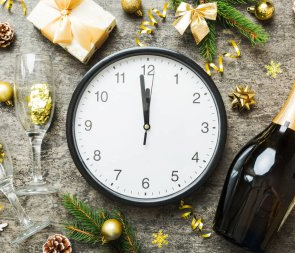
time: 11:58
